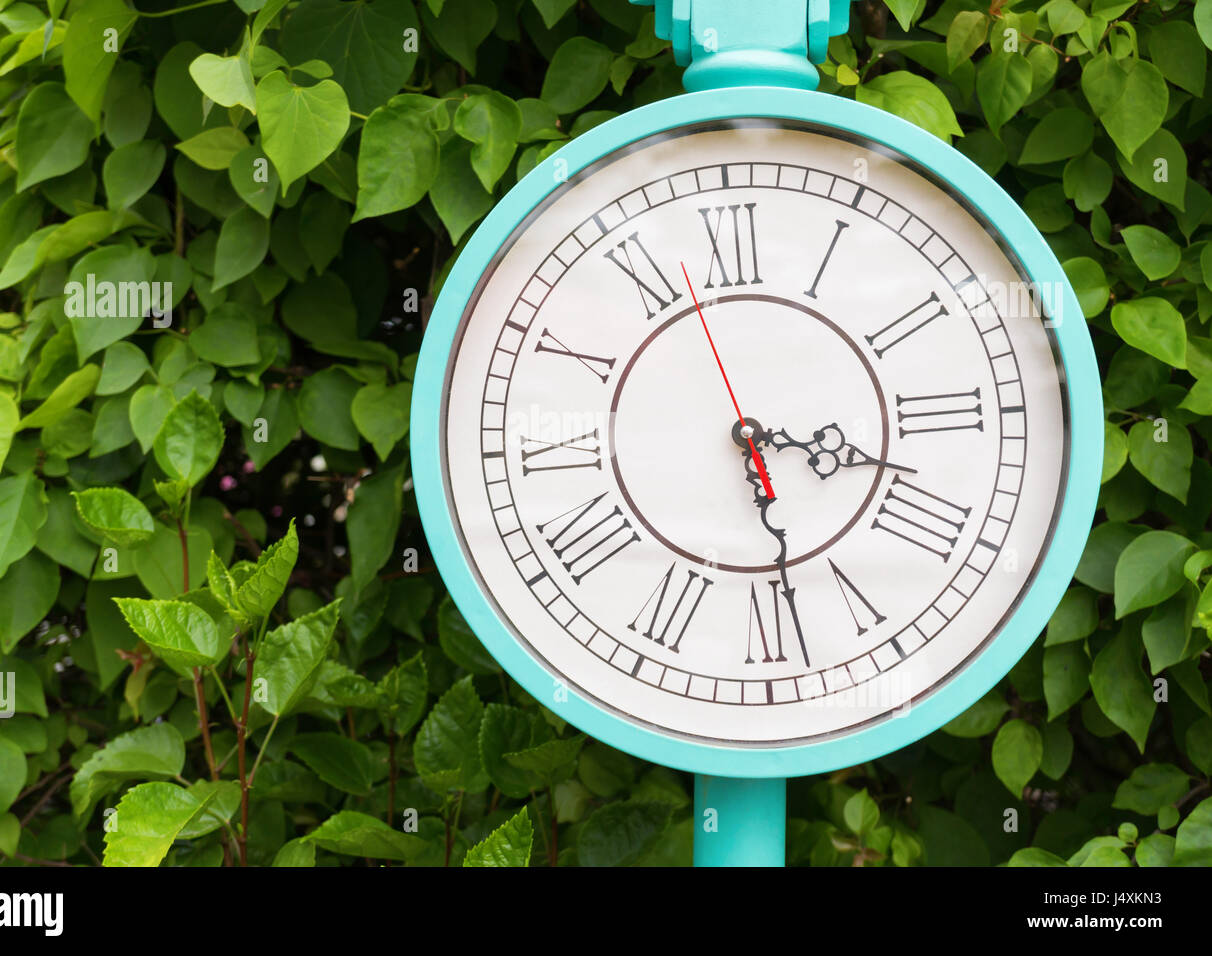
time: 3:28
